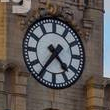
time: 4:36
